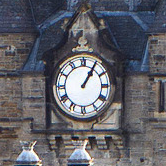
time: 1:05
